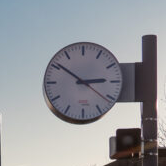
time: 2:51
